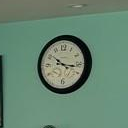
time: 10:16
